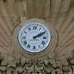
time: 2:09
